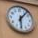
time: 6:06
